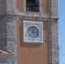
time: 12:14
